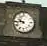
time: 9:44
